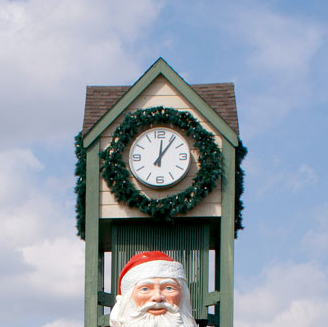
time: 12:06
